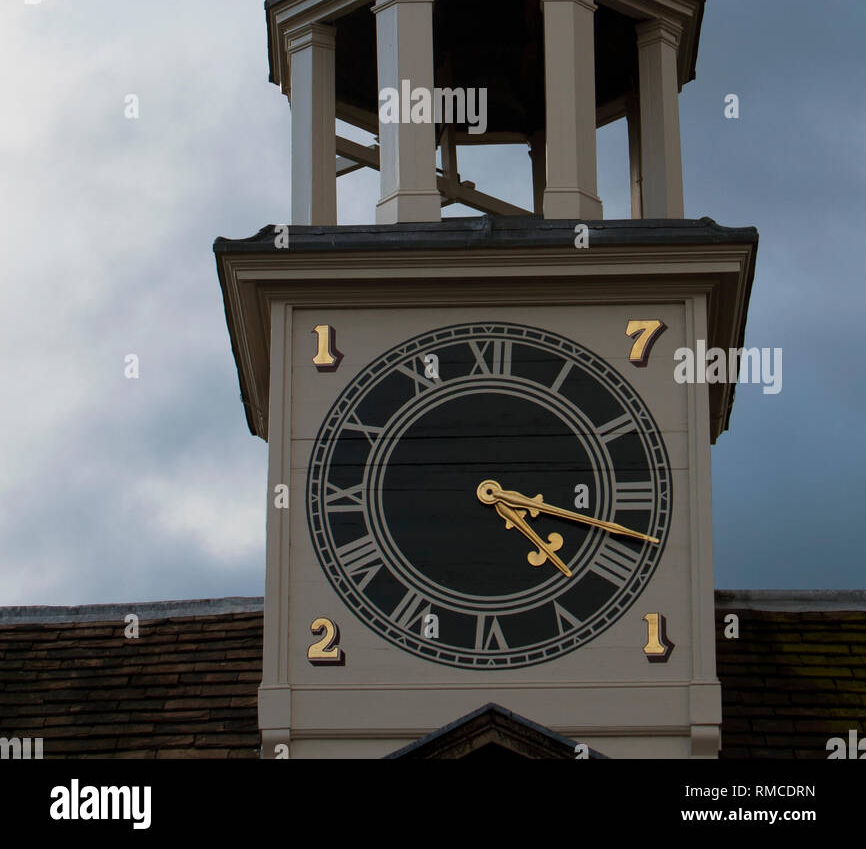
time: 4:17
